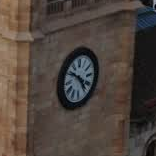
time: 4:50
